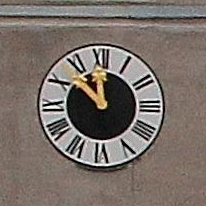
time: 11:52
